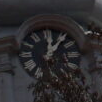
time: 12:06
